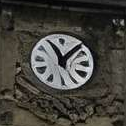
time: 11:07
